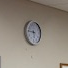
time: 5:45
